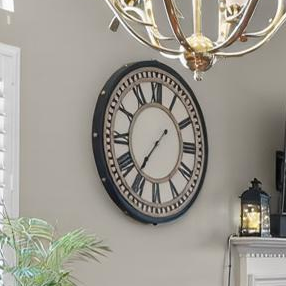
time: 1:36
